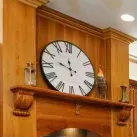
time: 11:48
